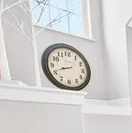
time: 8:41
